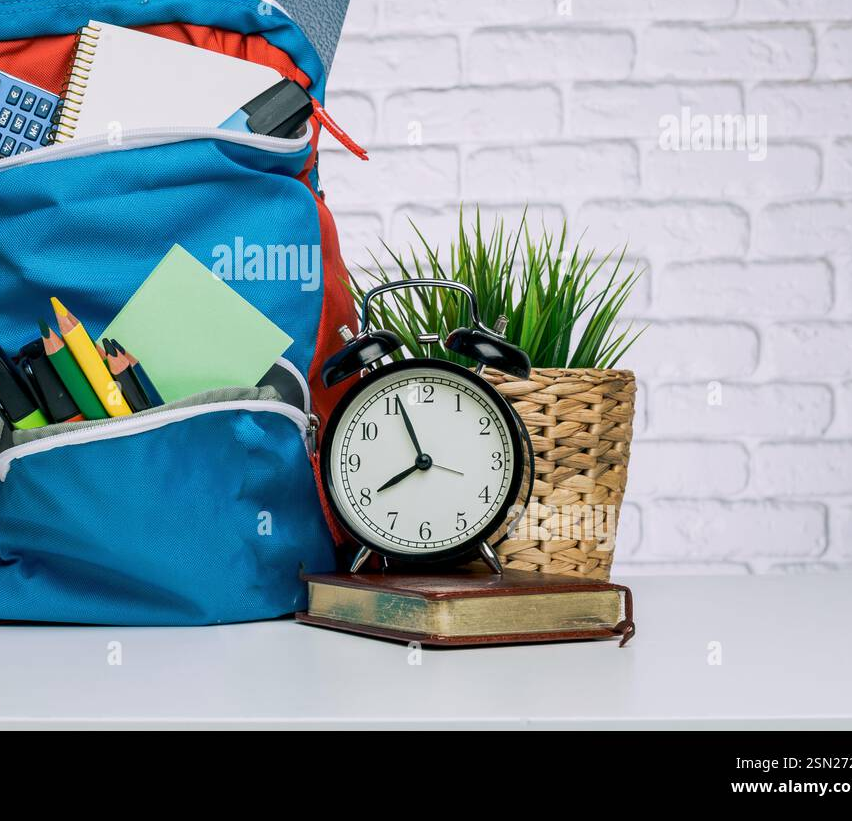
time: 7:56
